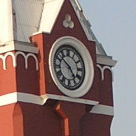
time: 4:51
